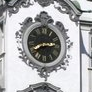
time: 2:40
